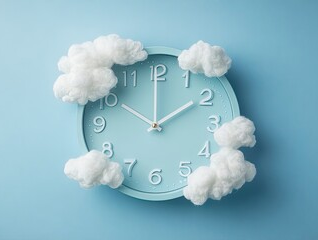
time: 1:50
